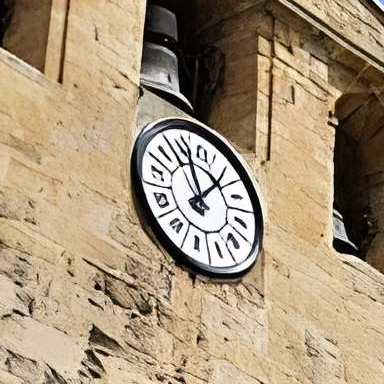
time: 12:07
